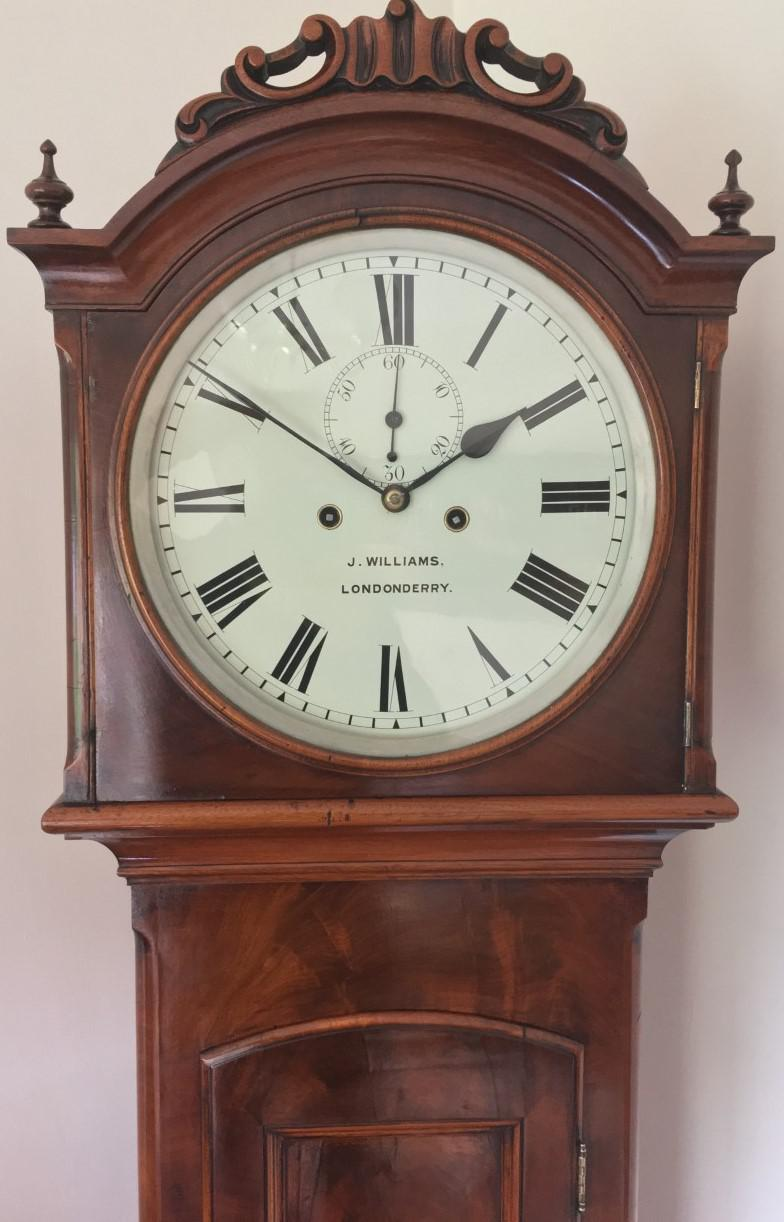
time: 1:50
